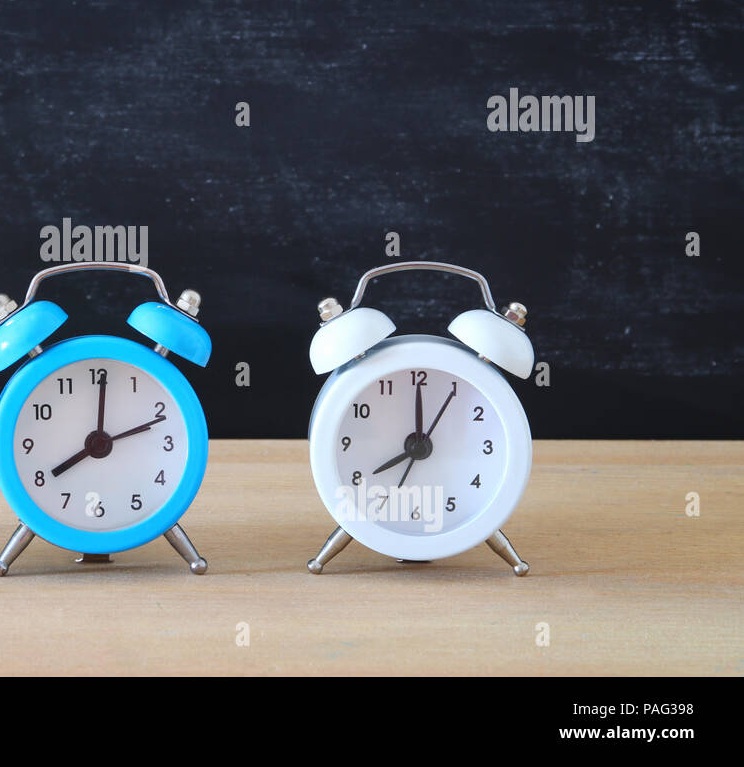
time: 8:00
